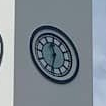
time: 11:32
